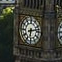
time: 6:13
